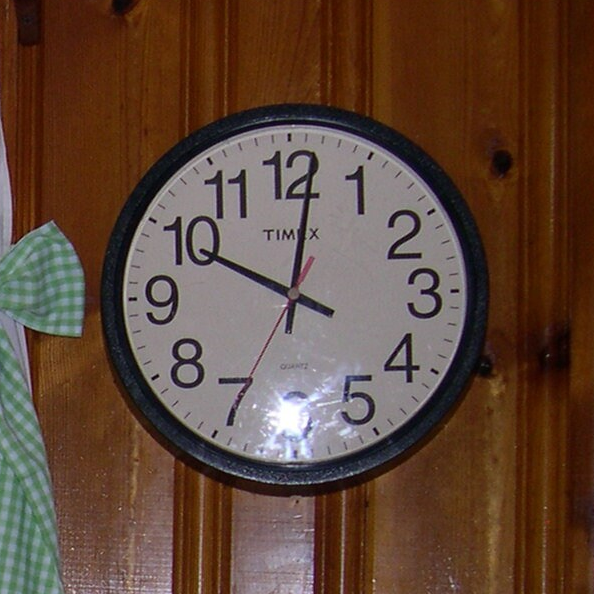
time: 10:01
